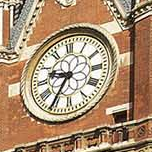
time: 9:35
